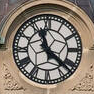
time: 11:21
